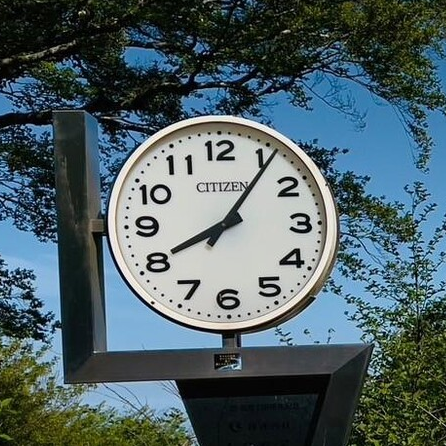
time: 8:06
